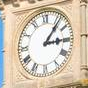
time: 3:06
